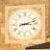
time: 3:12
